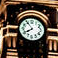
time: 7:54
